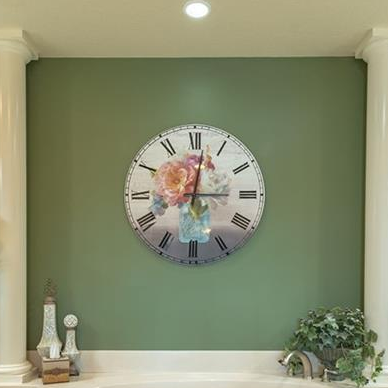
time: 3:01
